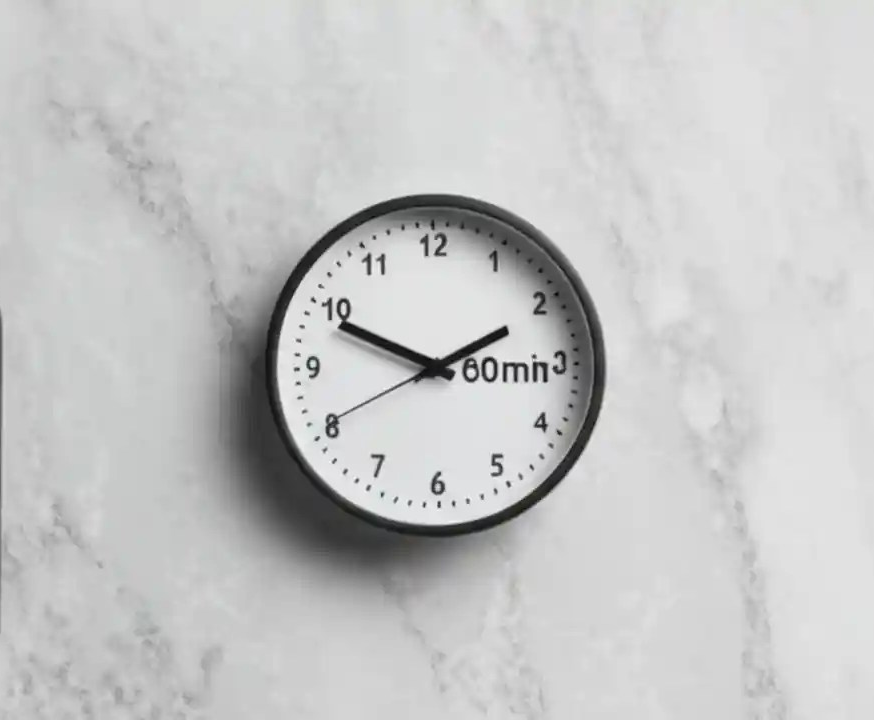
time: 1:49
